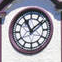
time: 11:08
